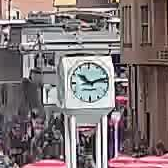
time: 10:12
